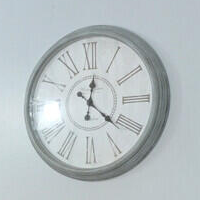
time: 12:21
